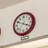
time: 3:49
